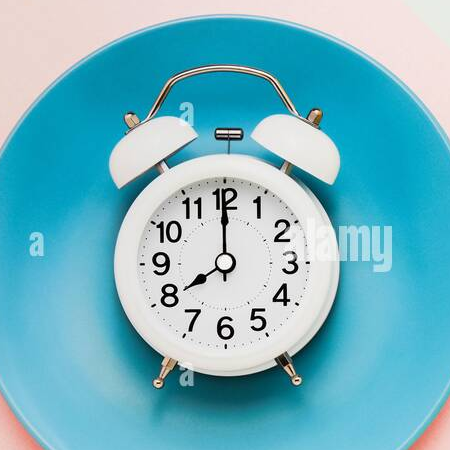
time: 8:00
